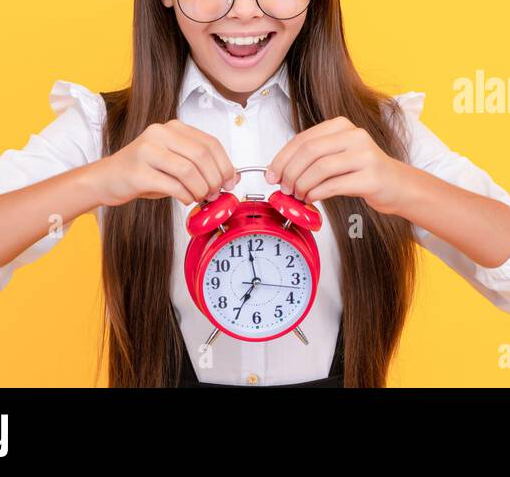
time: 6:58
